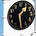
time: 1:28
